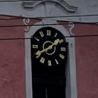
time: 1:40
